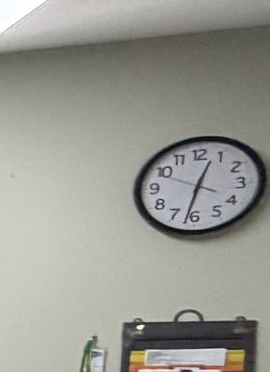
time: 12:32
